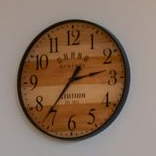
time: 2:36
